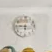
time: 9:01
